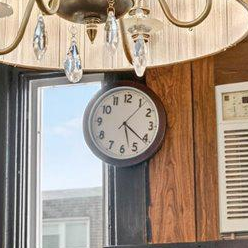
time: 5:21
